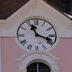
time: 11:18
